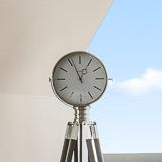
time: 12:56
